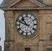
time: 10:49
